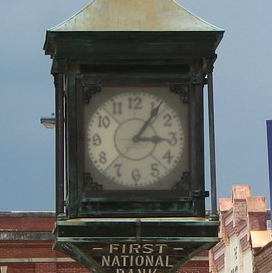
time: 3:05
